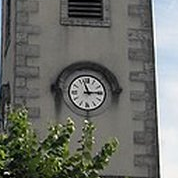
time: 2:57
